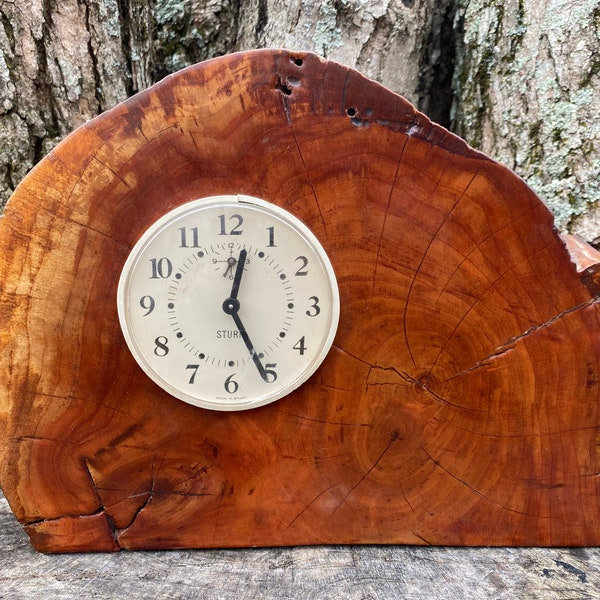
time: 12:25
